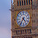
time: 4:36
